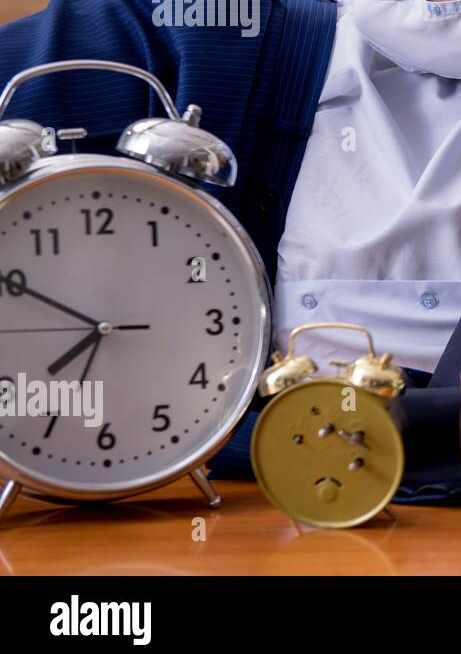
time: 7:49
